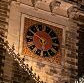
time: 5:50
